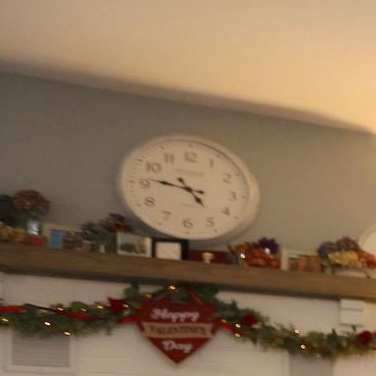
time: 4:46
